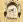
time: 8:27
